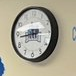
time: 8:43
